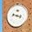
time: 3:47
